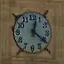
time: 12:21
